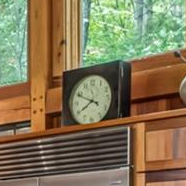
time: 7:49
